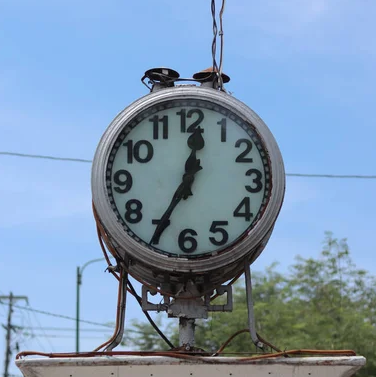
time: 12:34
